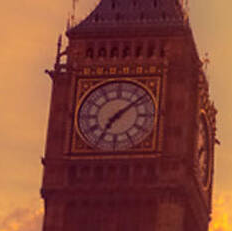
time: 7:08
